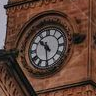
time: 10:29
